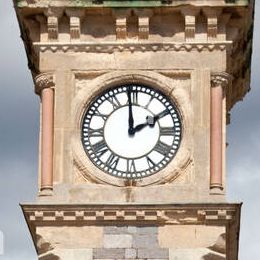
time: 1:59
